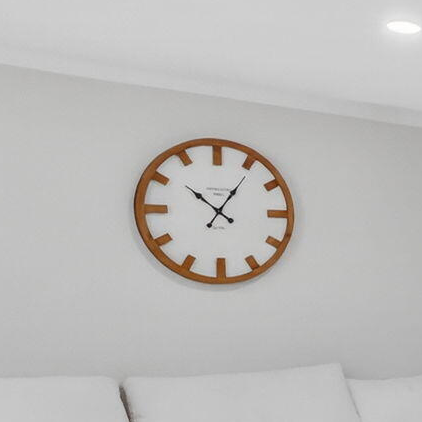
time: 10:05
